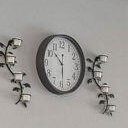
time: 10:29
